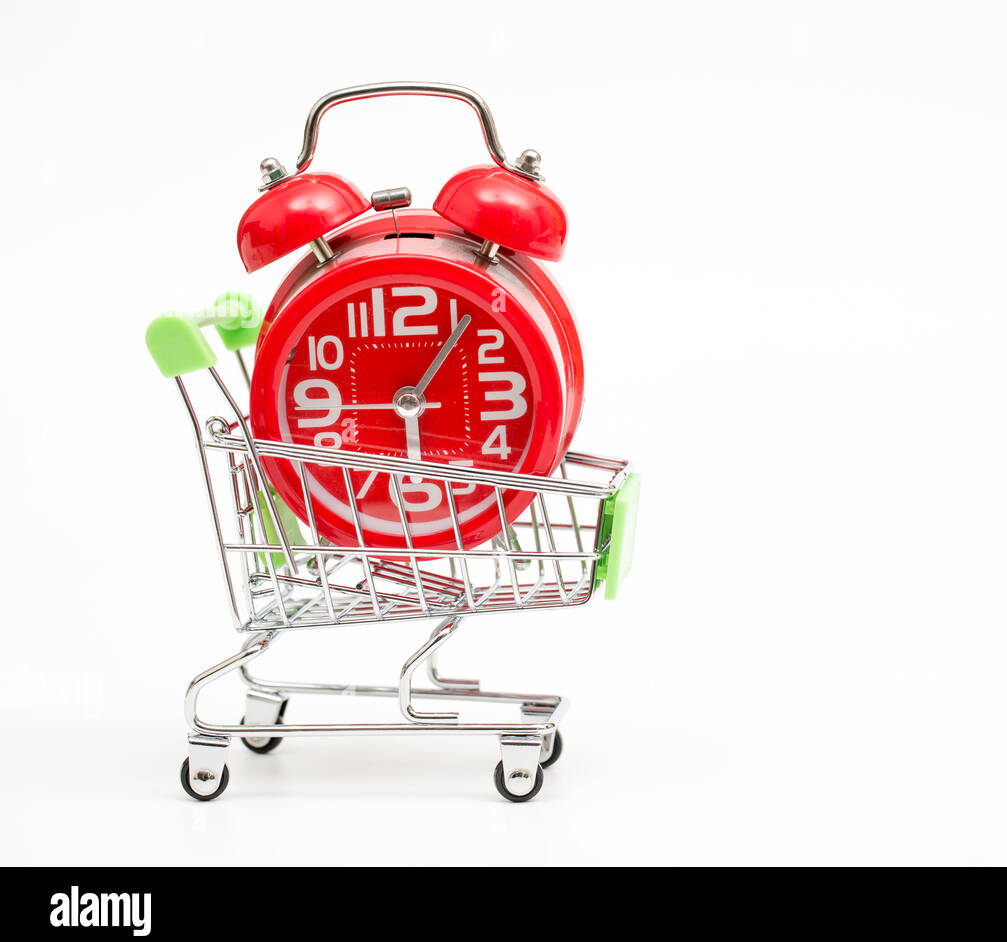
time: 6:06
